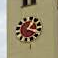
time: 1:18
